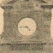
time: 4:44
